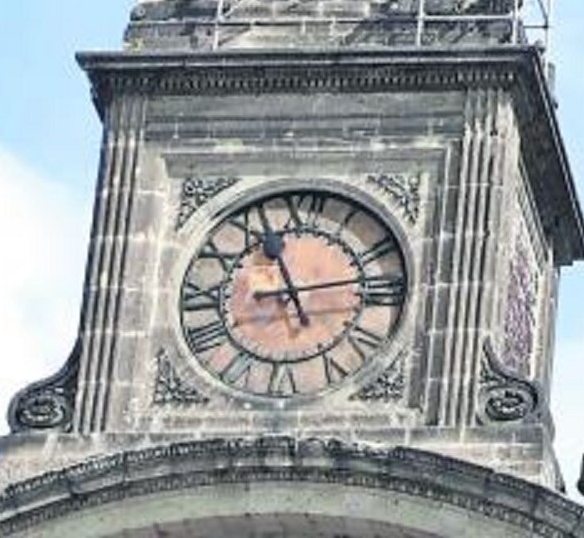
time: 11:13
